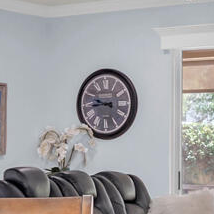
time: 8:48
